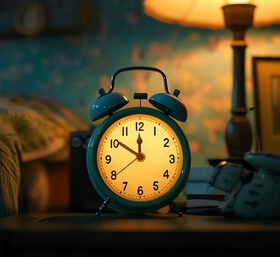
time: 11:50
